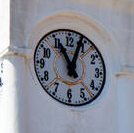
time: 11:03
